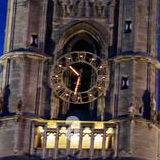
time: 10:32
